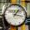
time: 1:16
